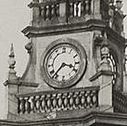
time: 3:37
